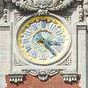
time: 3:23
